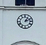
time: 1:11
